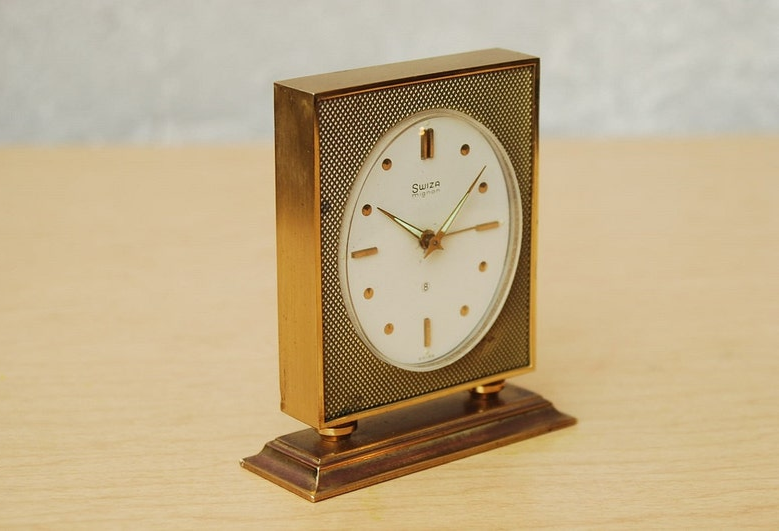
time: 10:14
